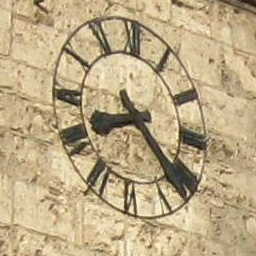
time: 8:22
